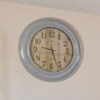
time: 9:26
